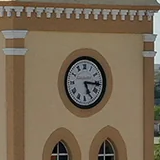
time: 5:15
